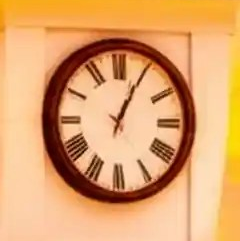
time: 1:04
